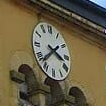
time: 3:38
